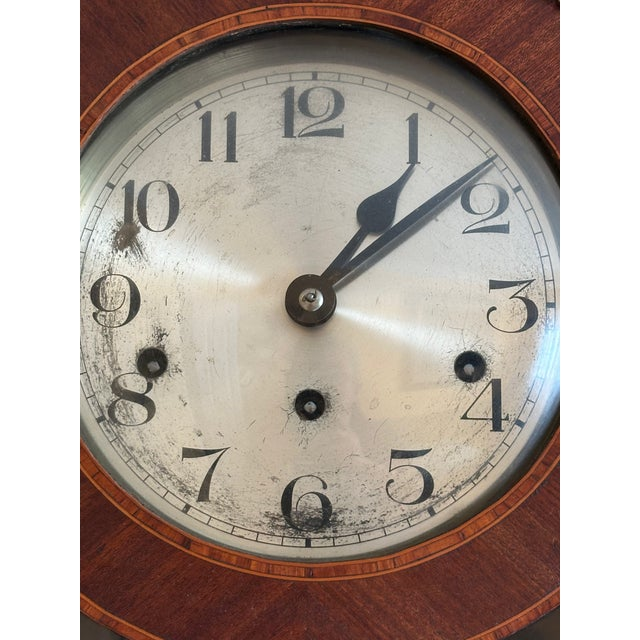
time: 1:08
